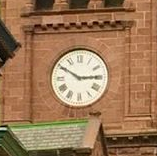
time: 2:50
